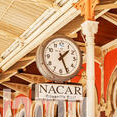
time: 1:25
